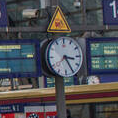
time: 3:25
